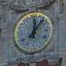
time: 12:06
